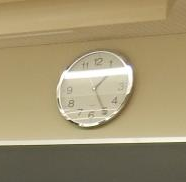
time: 1:24
